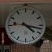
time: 4:17
